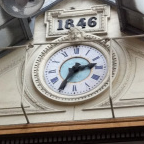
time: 2:35
